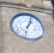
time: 1:02
